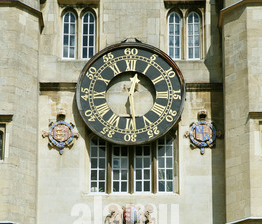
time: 12:28
